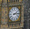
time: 2:14
